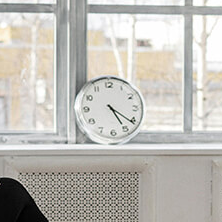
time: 5:21
